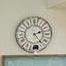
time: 2:23
